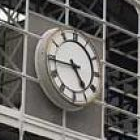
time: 4:44
